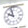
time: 9:57
